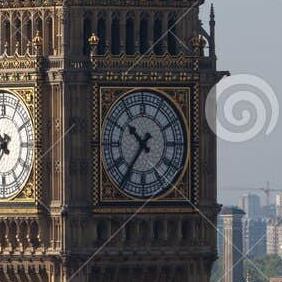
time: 10:36
